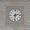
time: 2:31
